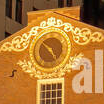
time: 4:52
